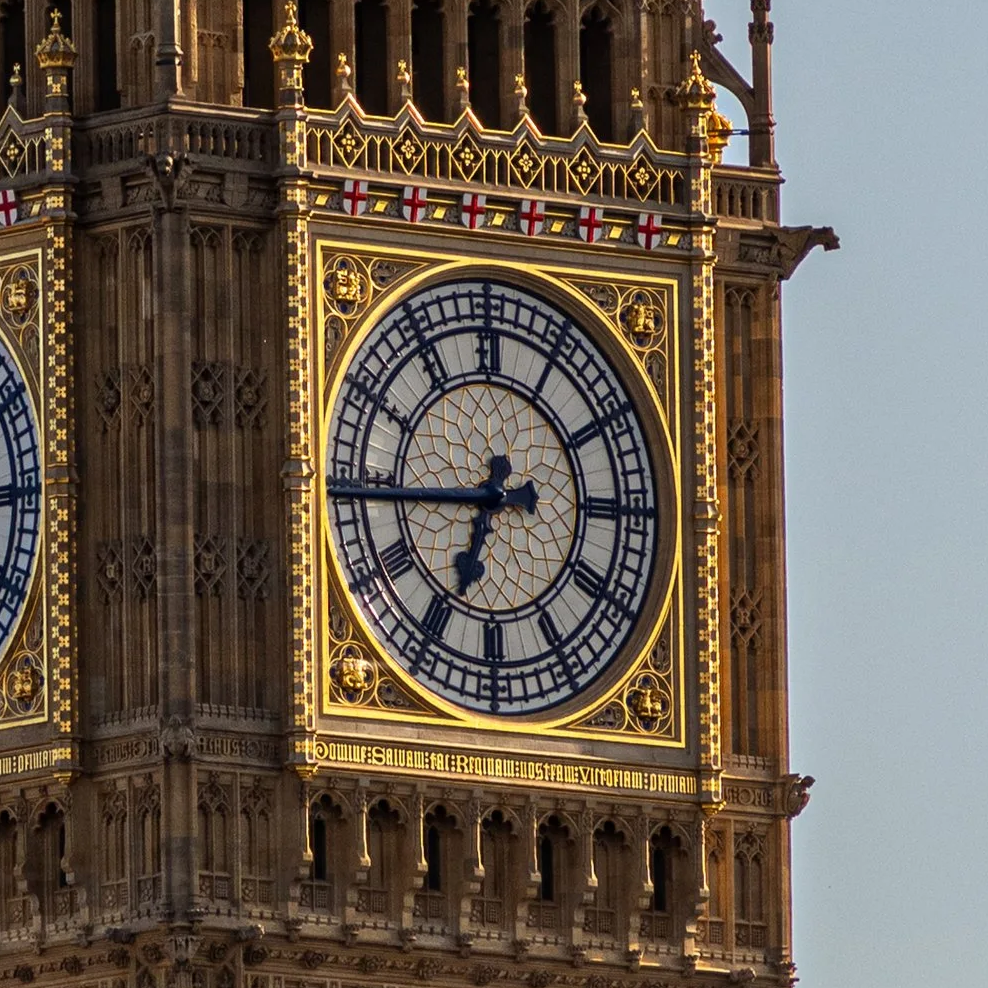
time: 6:44
